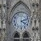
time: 4:12
